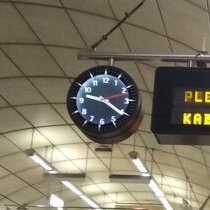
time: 9:20
